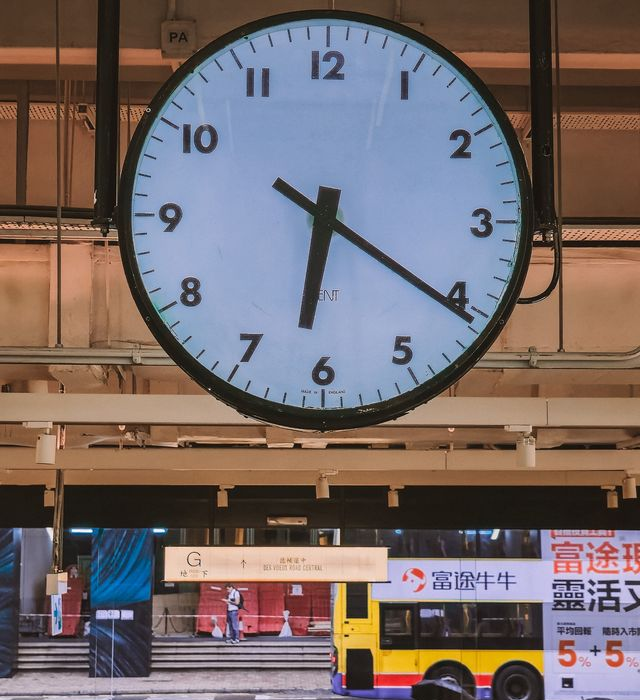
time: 6:20
